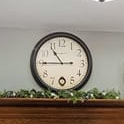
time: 10:45
